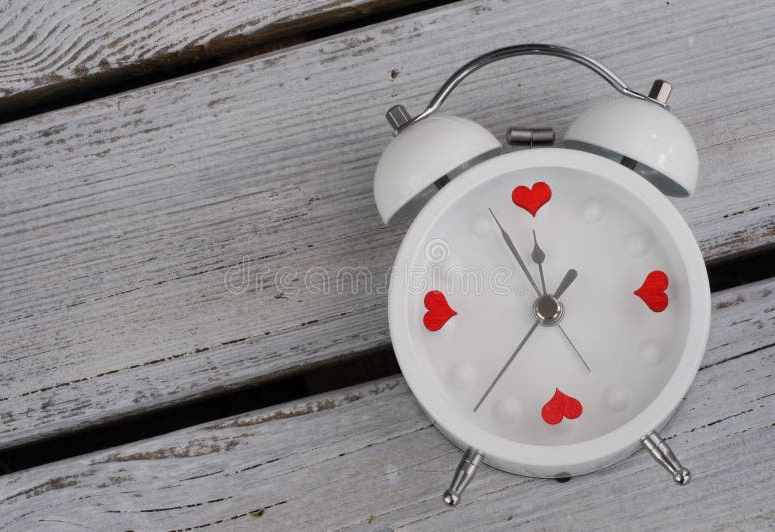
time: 11:55
